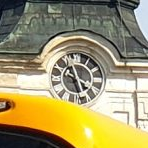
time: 5:18
